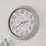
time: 2:39
